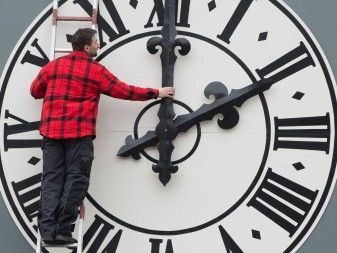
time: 6:10
